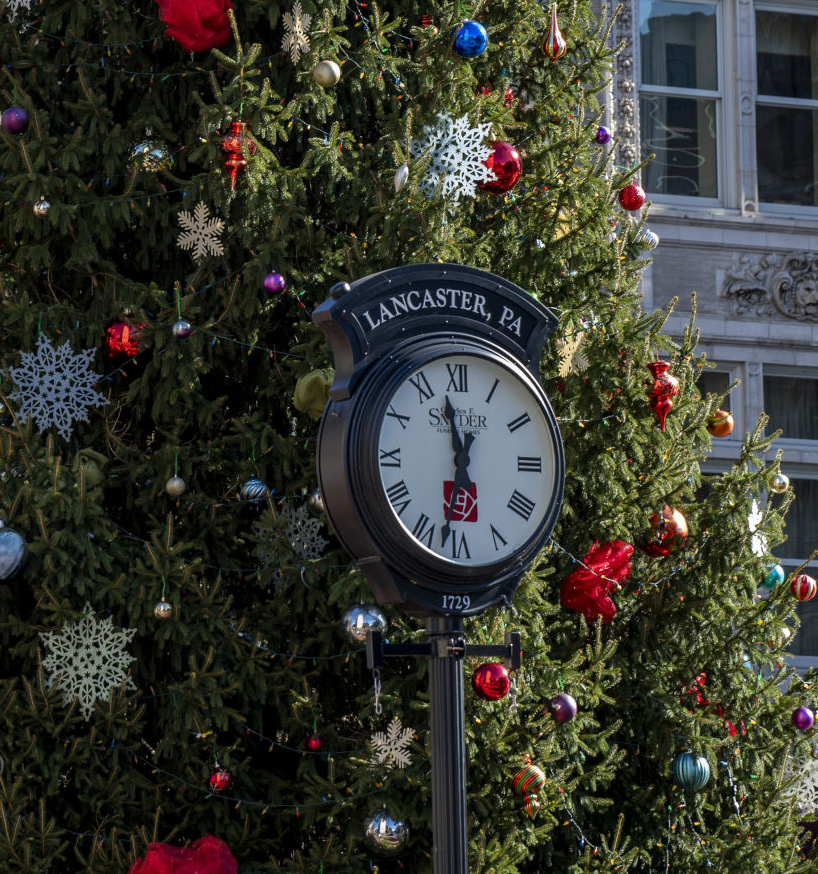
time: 11:32
